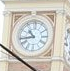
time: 10:43
